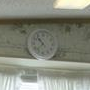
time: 10:37
